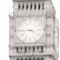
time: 3:44
